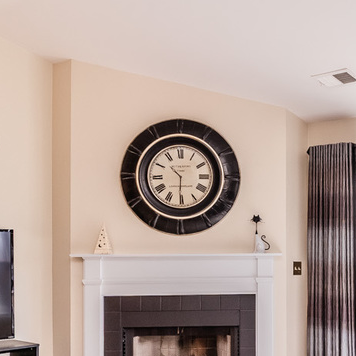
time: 10:30
